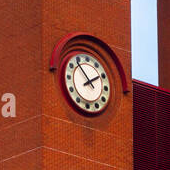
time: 1:53
